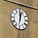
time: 12:02
